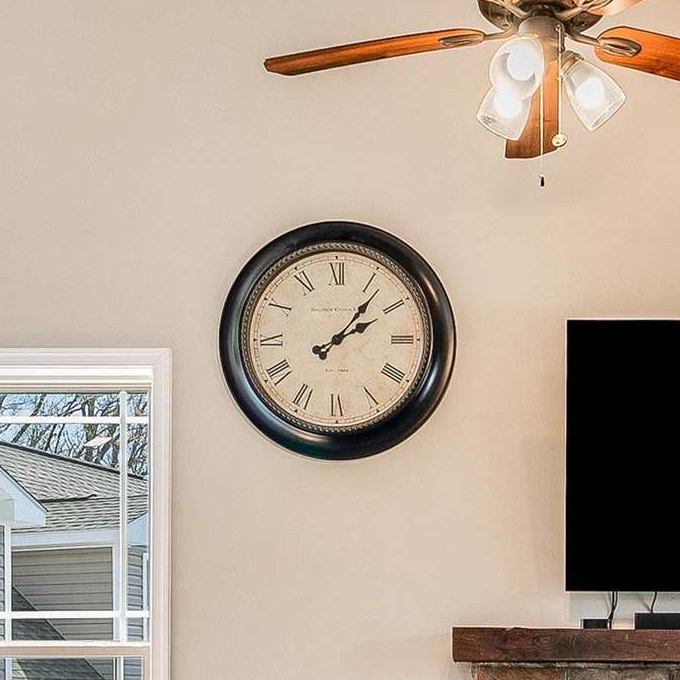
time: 2:06
